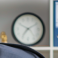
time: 7:09
